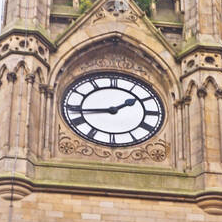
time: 1:43
